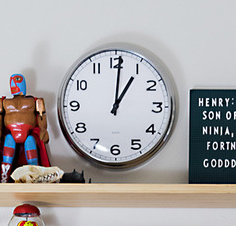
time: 1:00
